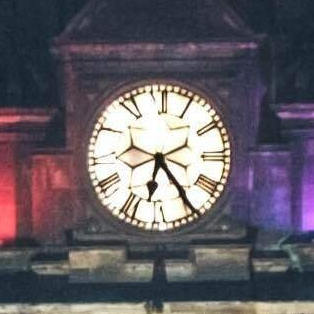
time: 6:24
